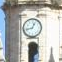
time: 12:42
